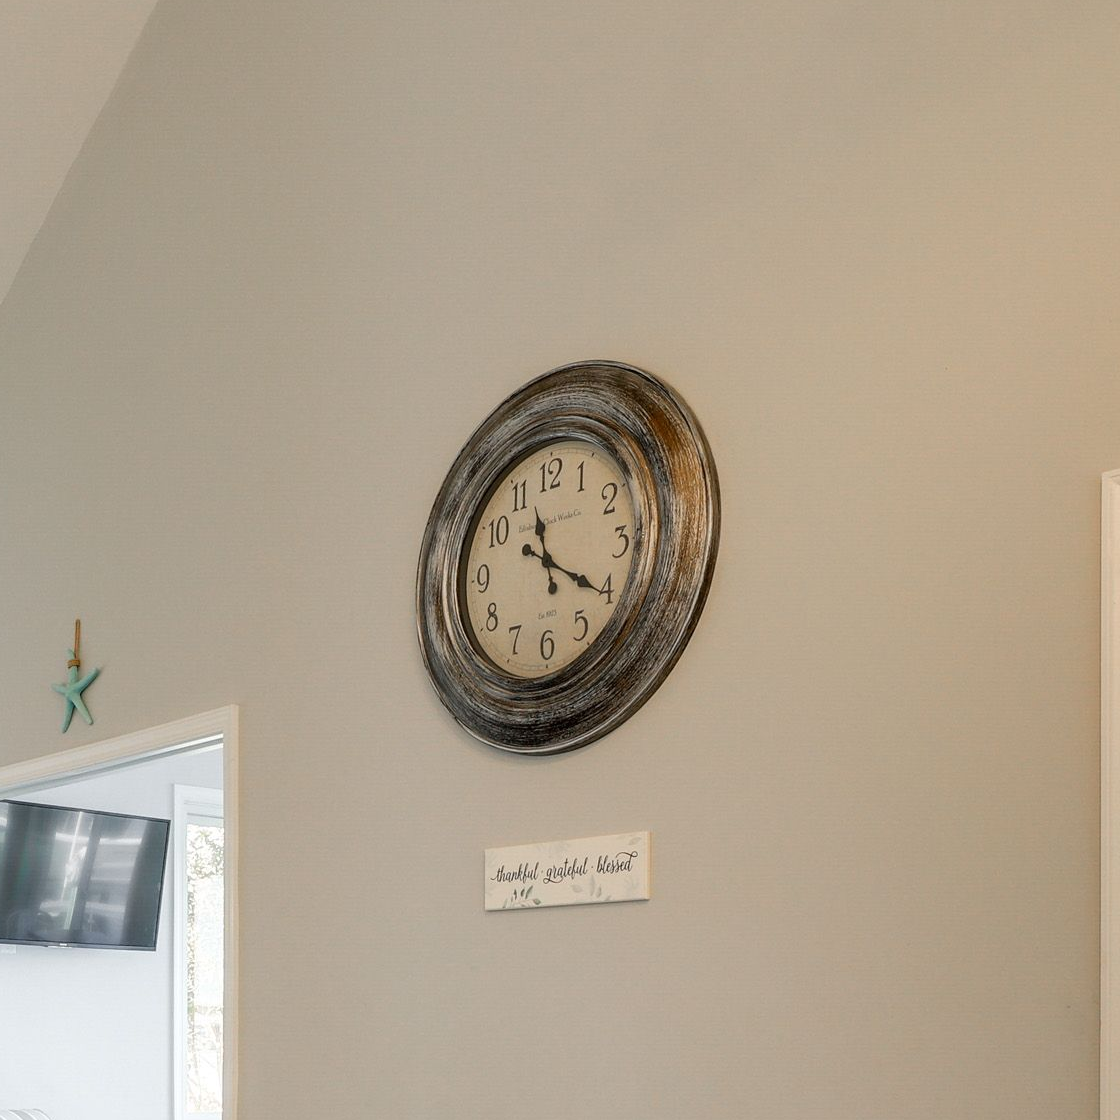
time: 11:20
